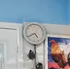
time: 4:39
